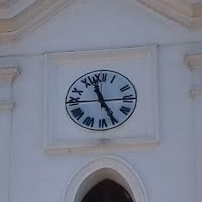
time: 11:25
